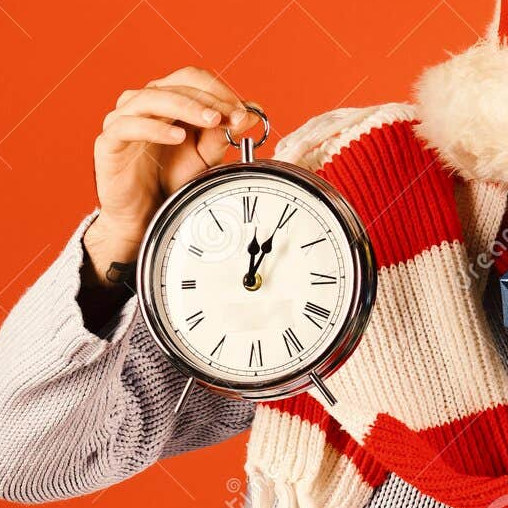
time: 12:04
